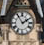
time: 1:54
